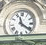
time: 11:21
